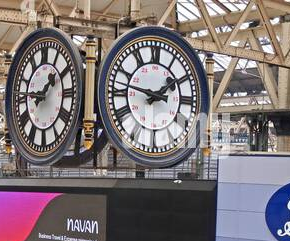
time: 1:46
